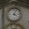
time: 4:04
